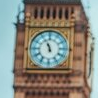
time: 11:56
